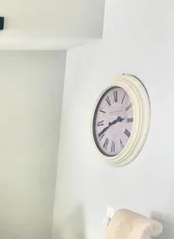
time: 2:40
